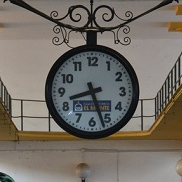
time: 8:26
